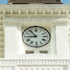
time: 8:53
